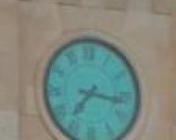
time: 7:16
